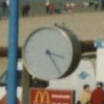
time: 3:24
